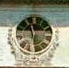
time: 11:29
